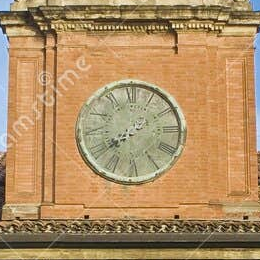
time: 7:39
